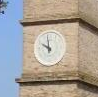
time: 9:58
